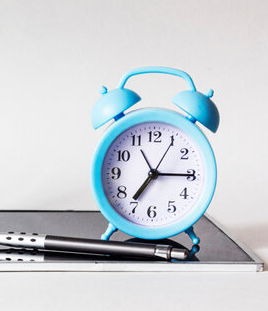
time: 7:15
